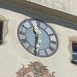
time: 11:31
